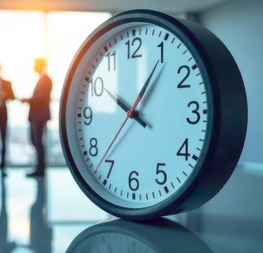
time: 10:05
